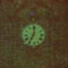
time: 7:01
